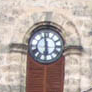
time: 5:58
